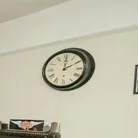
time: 2:00
